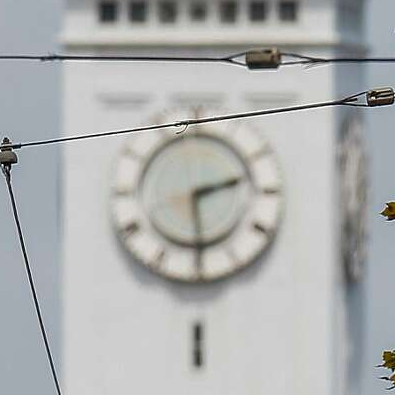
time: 2:29
